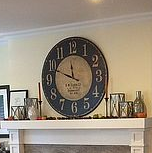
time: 11:48
